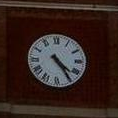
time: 4:24
